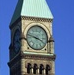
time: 3:47
